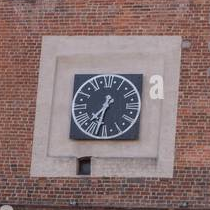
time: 7:32
